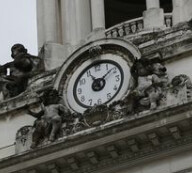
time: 11:08
